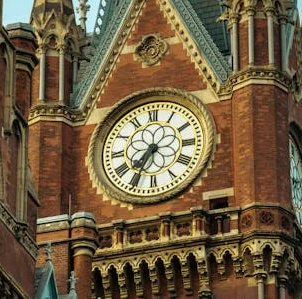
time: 7:34
